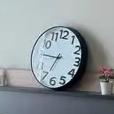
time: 6:45
